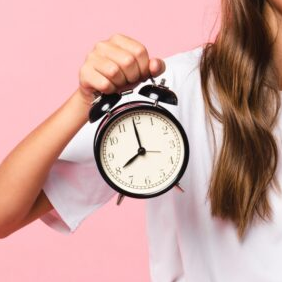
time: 7:59
